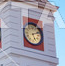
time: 5:11
